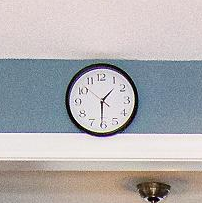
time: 1:30
